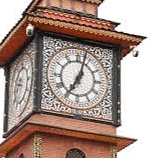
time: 7:02
